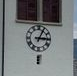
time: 3:04
